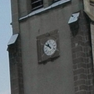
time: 10:51
